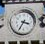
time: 3:35
